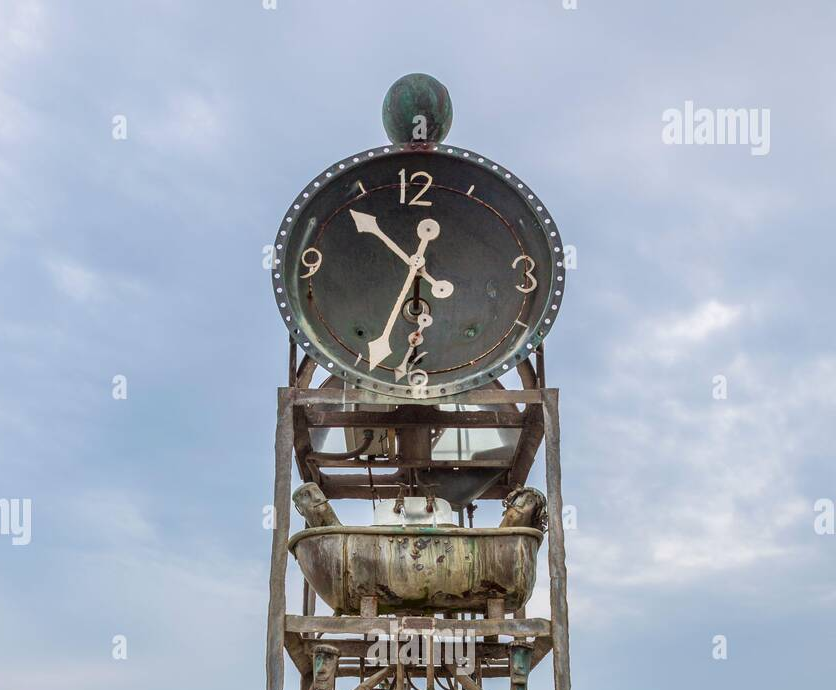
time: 10:33
